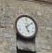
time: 5:08
